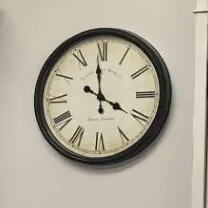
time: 3:58
